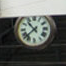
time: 10:37
